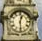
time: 12:28
